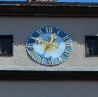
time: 12:48
